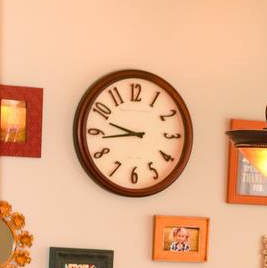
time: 9:43
